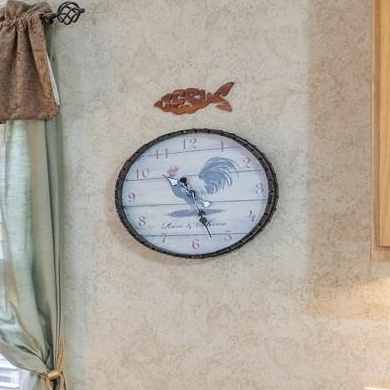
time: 10:27
